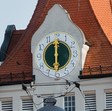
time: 5:59
